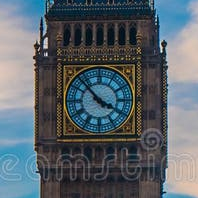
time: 3:52
